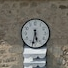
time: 5:31
